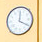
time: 12:20
